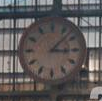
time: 3:07
